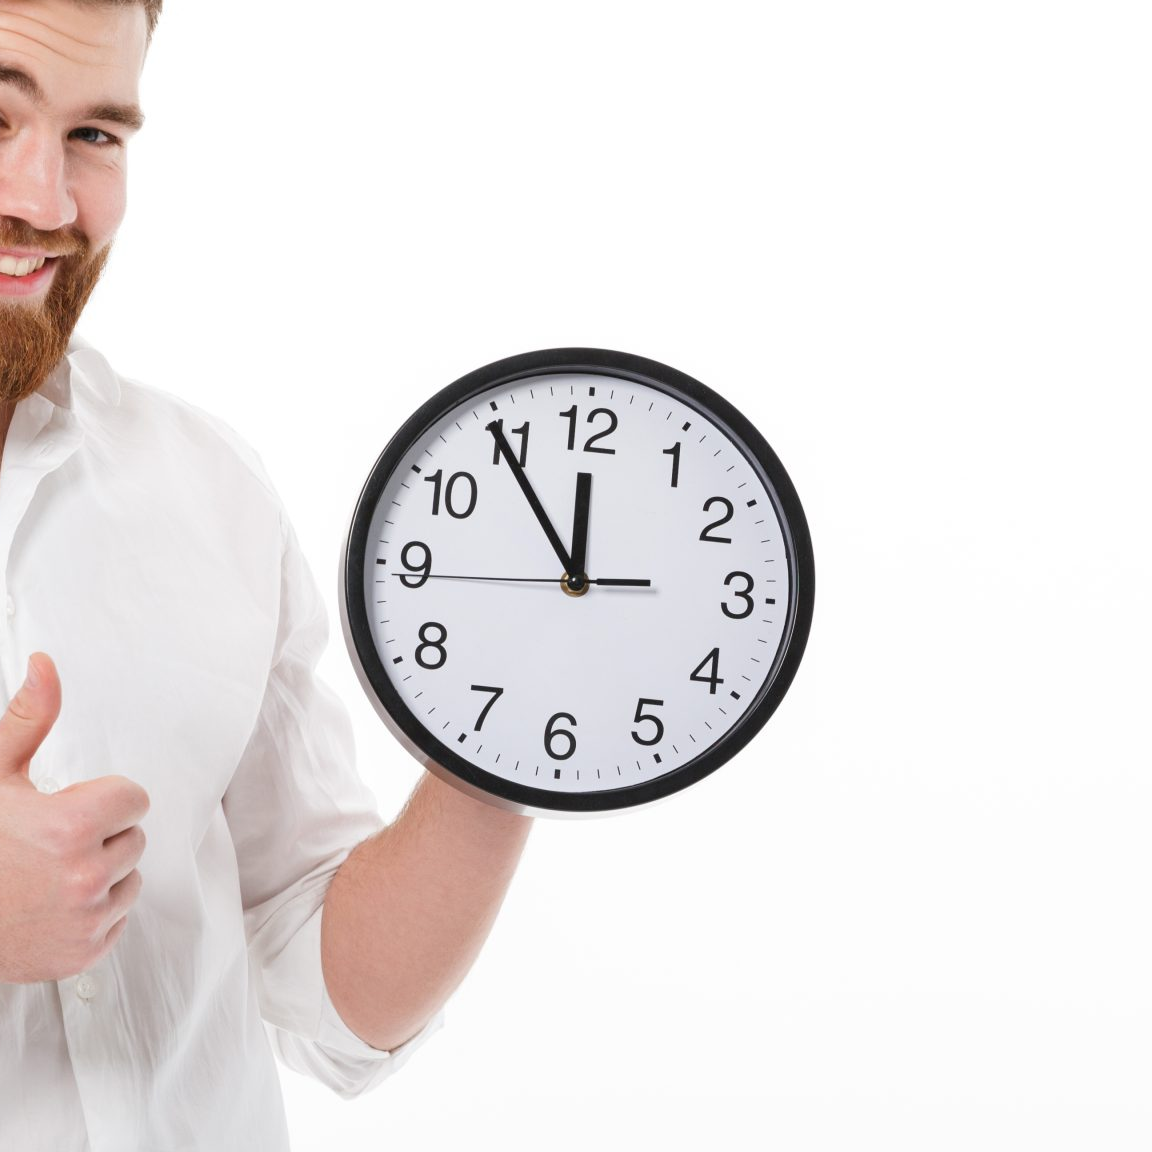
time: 11:54
